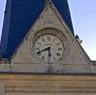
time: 5:40
